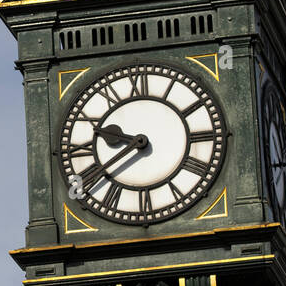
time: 9:39
